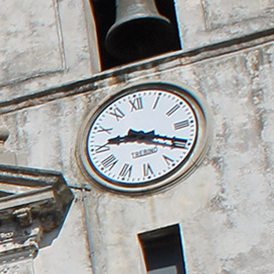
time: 9:19
